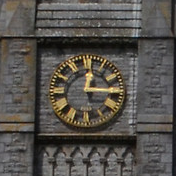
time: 12:14
